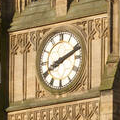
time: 8:11
